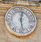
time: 12:27
